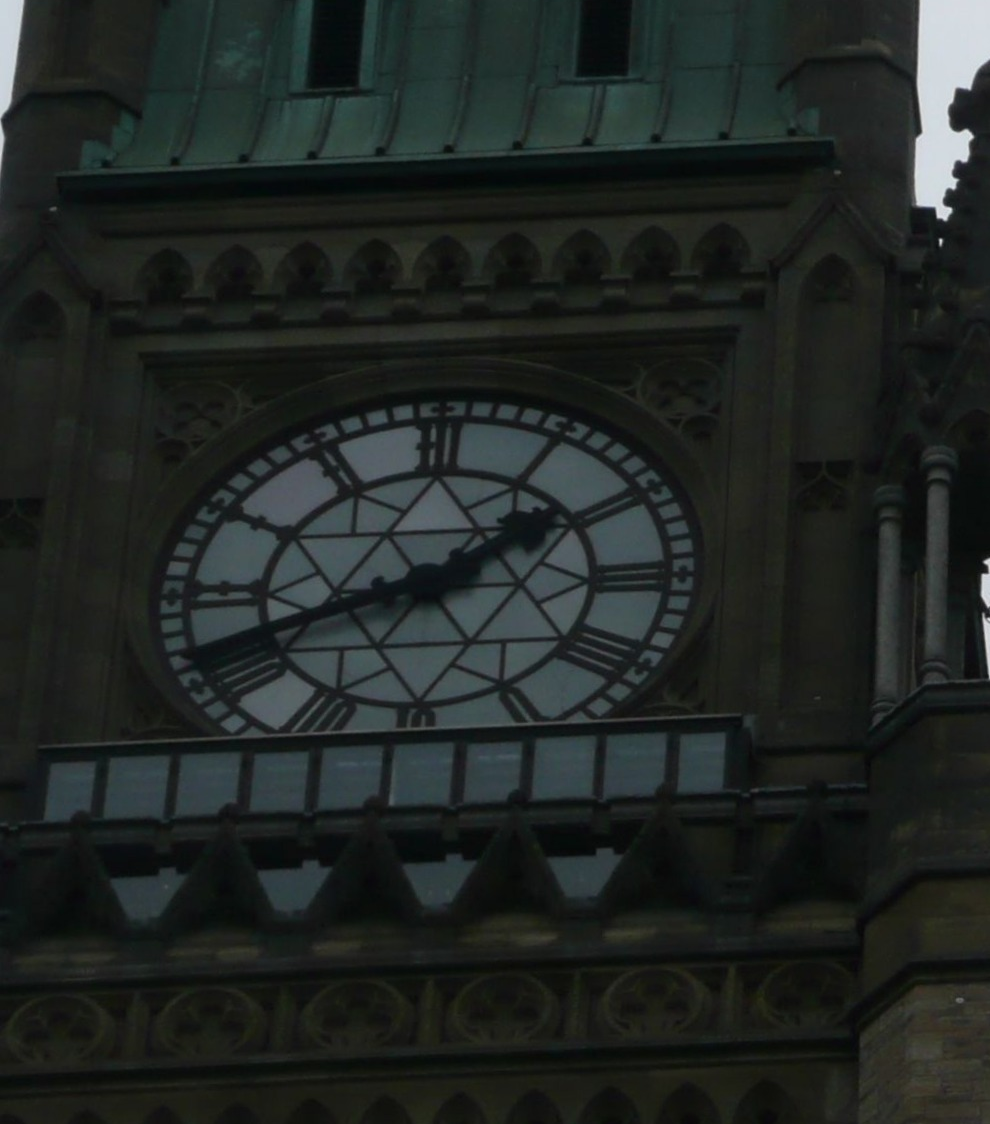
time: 1:41
